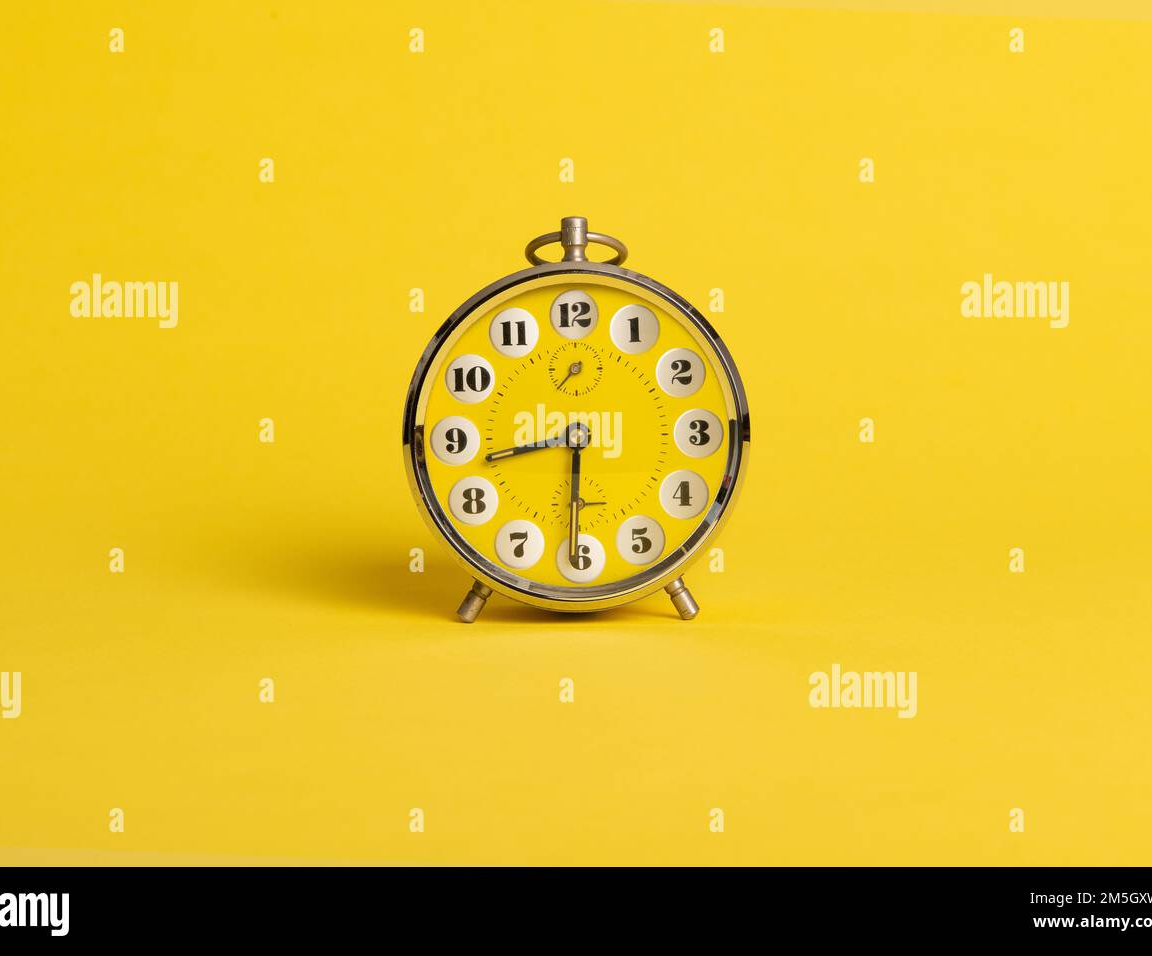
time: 8:30
